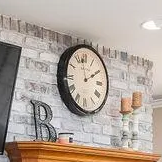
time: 1:59
